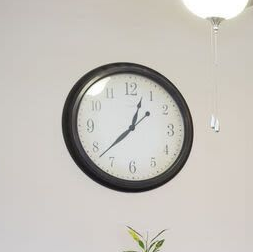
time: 12:37
